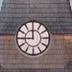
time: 11:44
